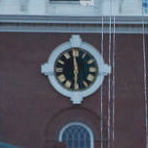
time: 5:59
